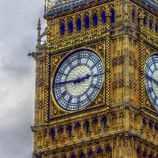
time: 2:45
